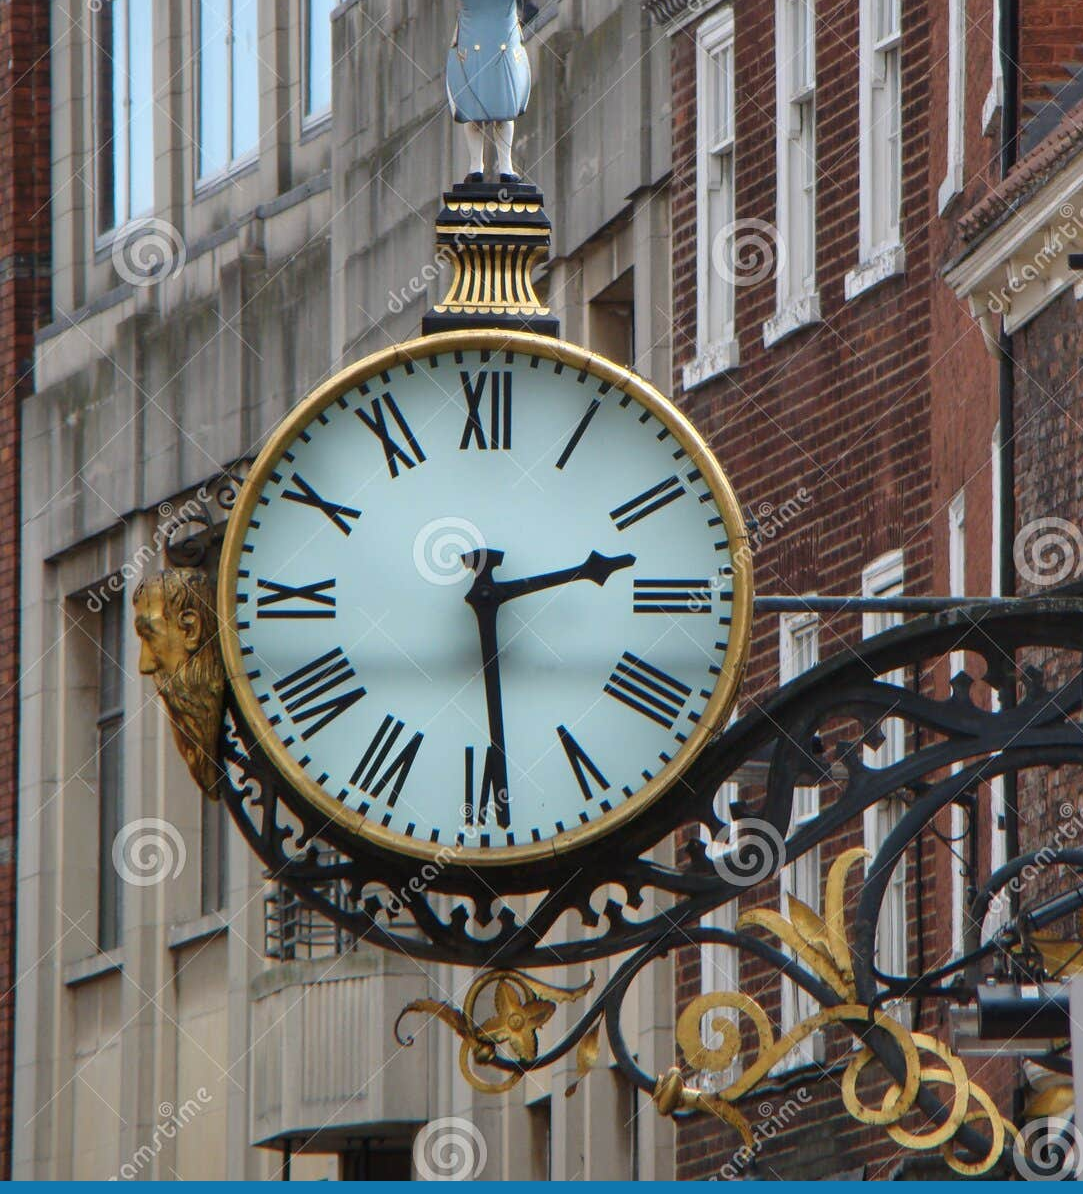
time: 2:29
